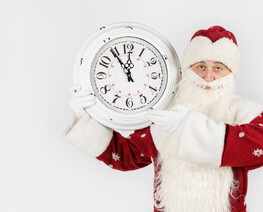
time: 11:54
